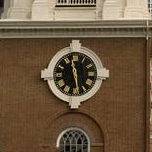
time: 11:28
